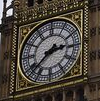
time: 2:38
